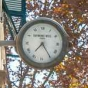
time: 7:24
